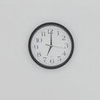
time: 7:00
